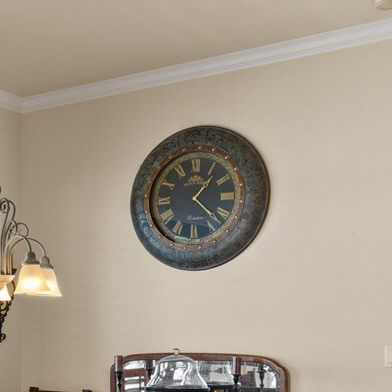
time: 1:22
